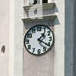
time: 1:20
